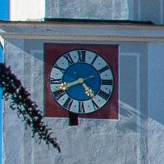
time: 8:23
